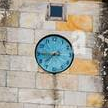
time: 7:44
